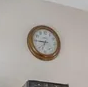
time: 6:45
